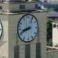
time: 8:41
